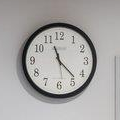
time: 11:22
